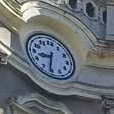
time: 8:31
